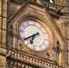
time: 6:39
